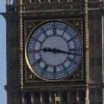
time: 9:17
